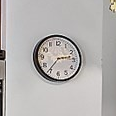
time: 2:36
